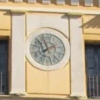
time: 7:55
